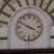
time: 3:50
